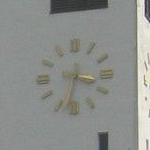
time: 3:32
